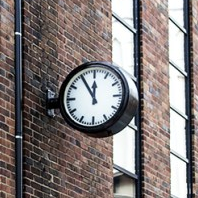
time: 11:54
